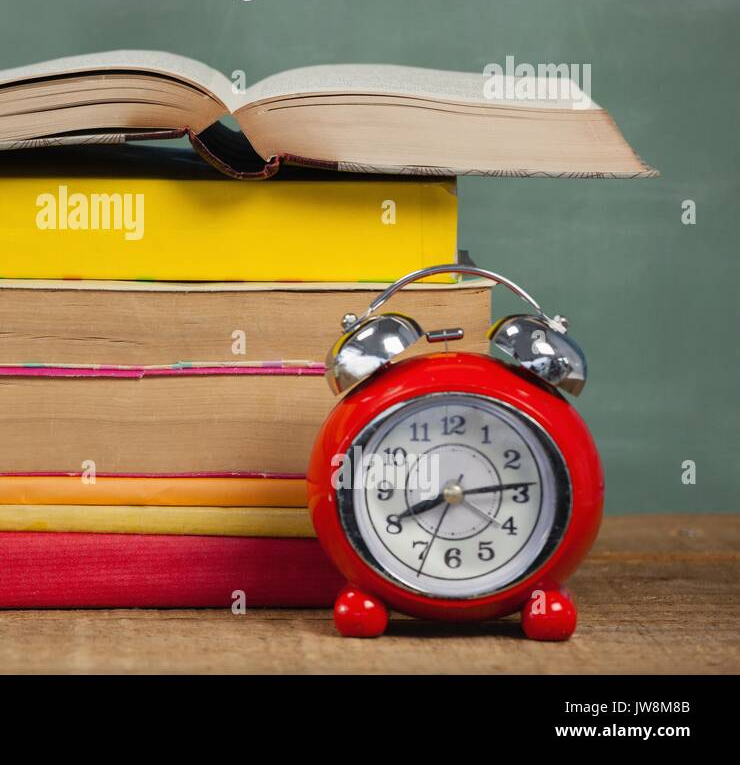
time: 8:13
